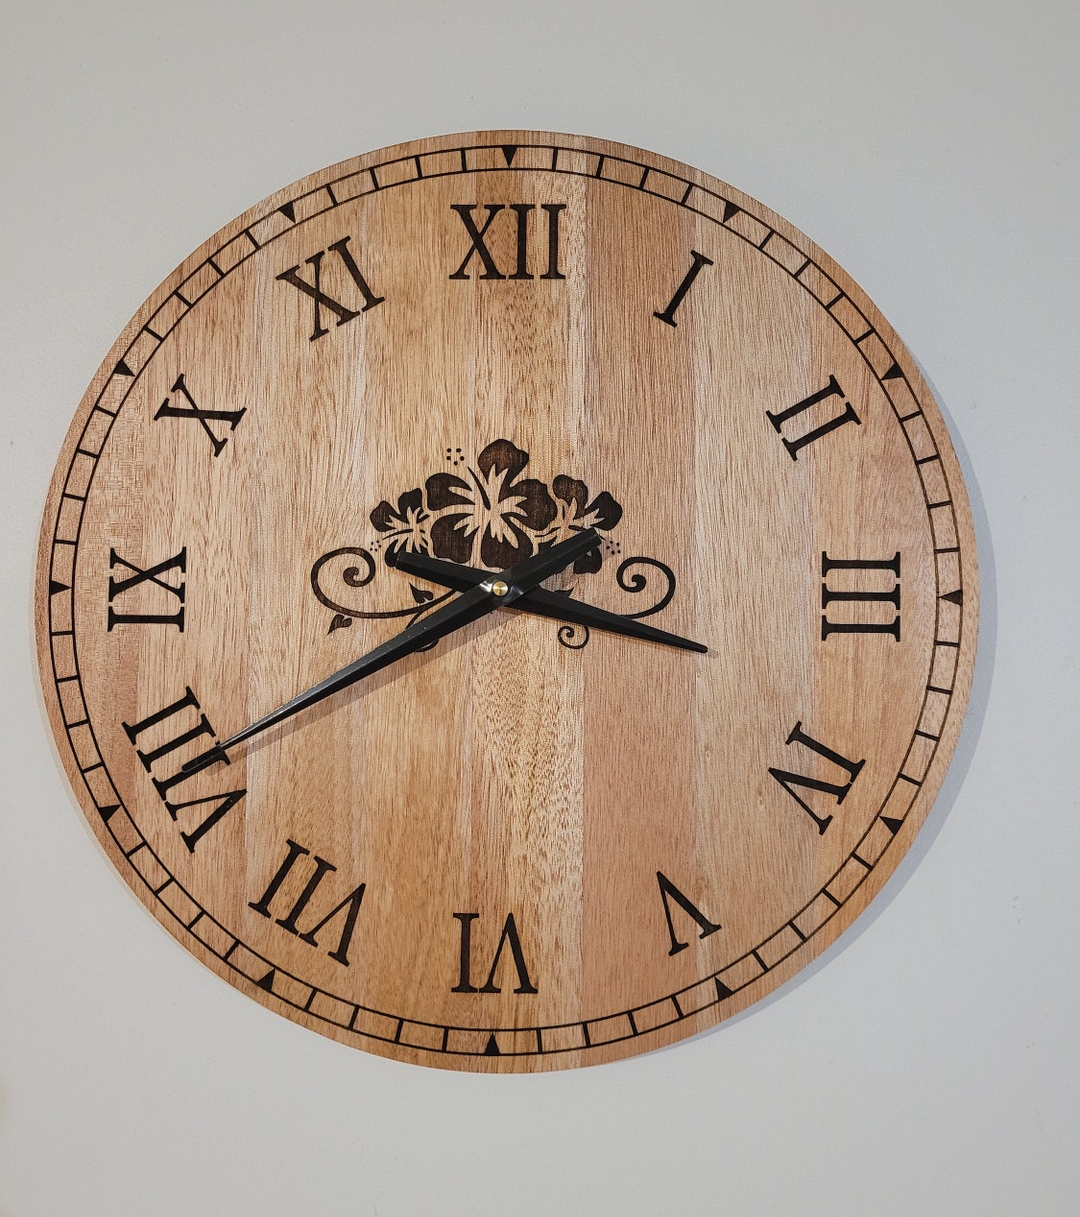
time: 3:40
